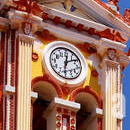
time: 12:09
